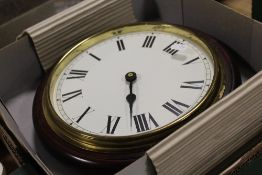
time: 5:26
